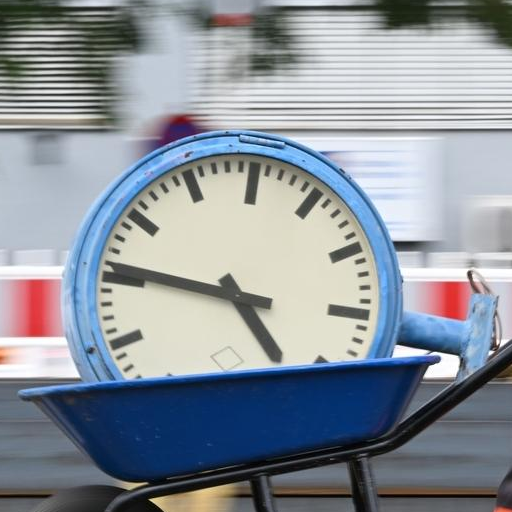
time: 4:46
